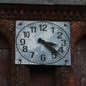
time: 3:22
